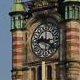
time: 9:20
